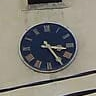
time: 3:24
